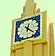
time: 12:22
